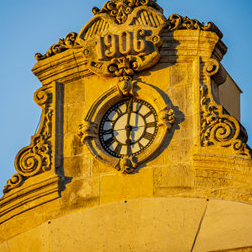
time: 6:00
